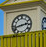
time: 2:42
